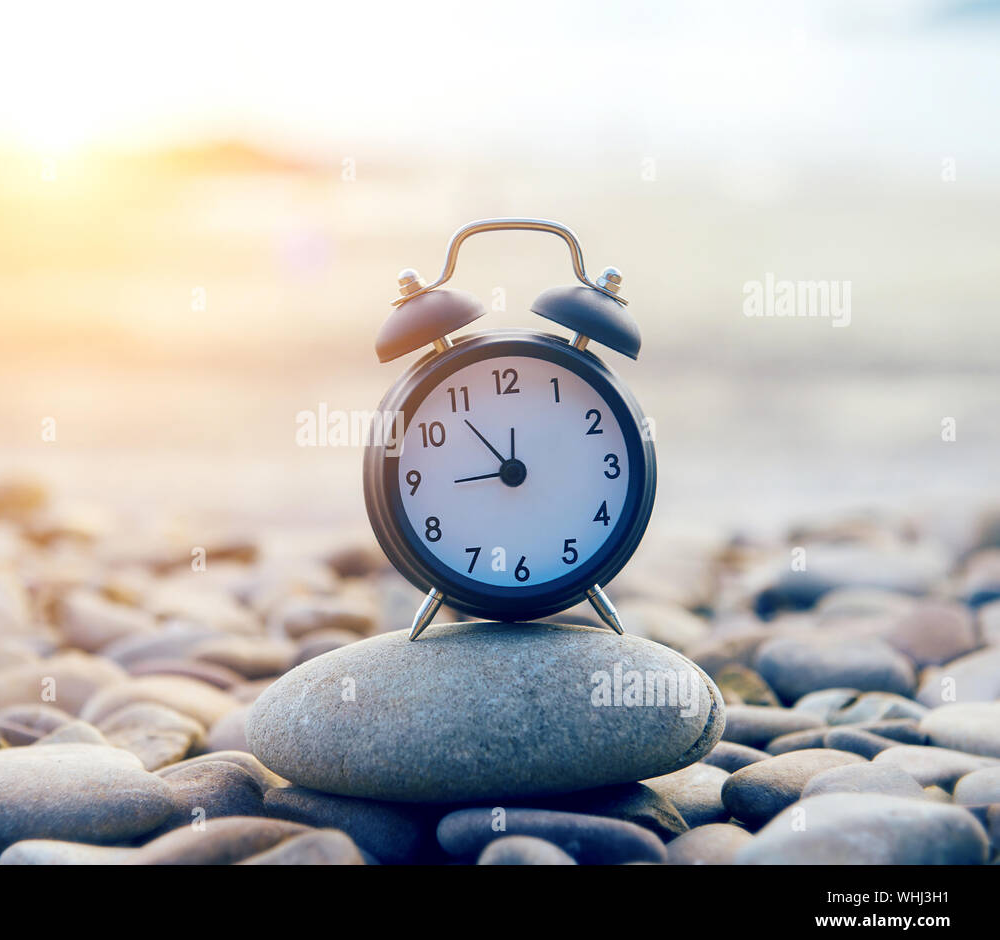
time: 8:53
